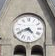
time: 4:41
